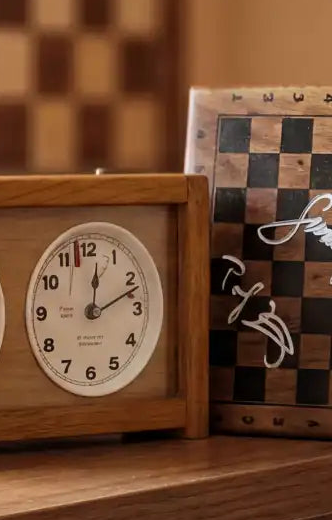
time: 12:11
